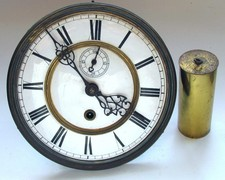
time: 3:53
